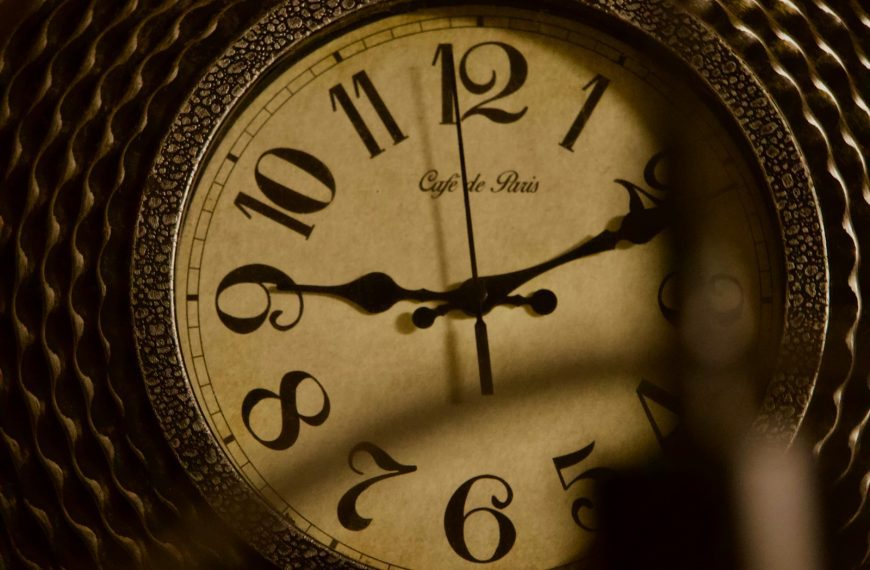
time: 9:10
